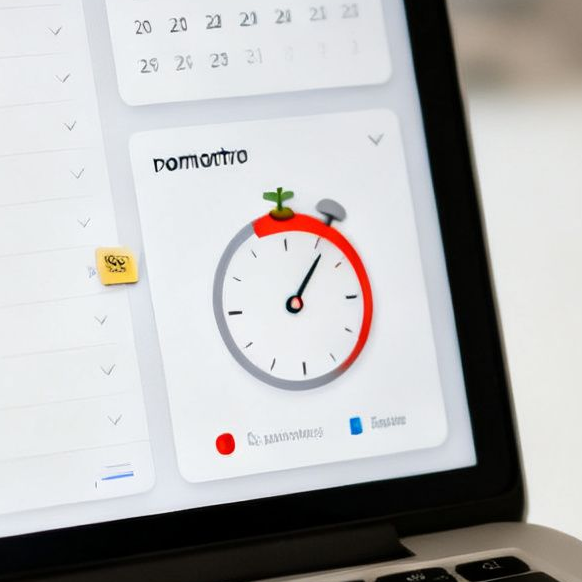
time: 1:06
